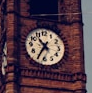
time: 10:35
